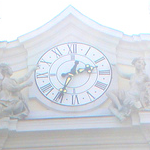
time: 2:34
